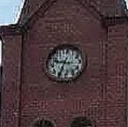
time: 9:34
